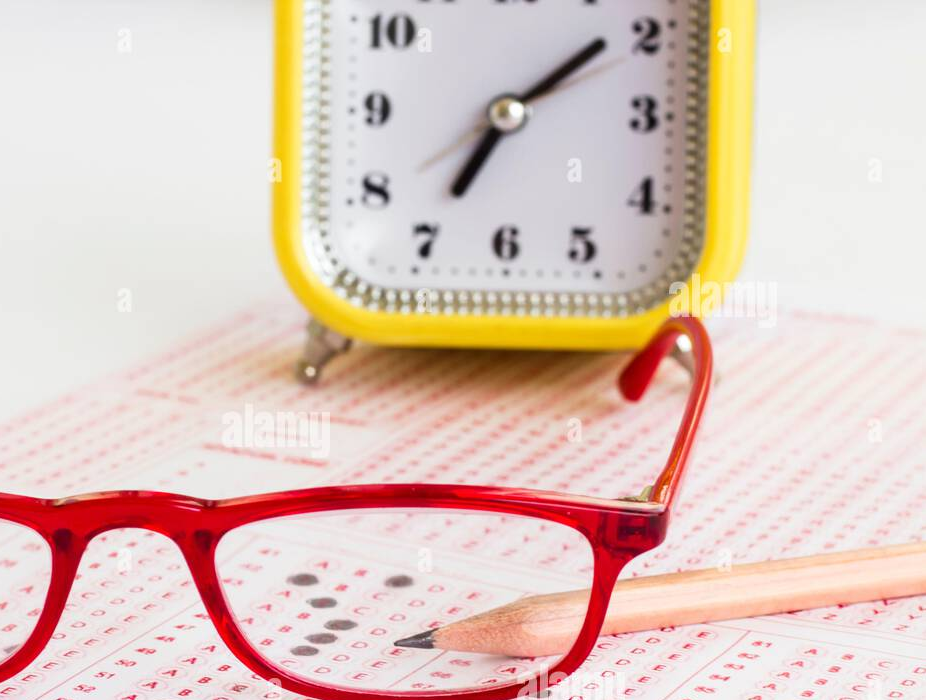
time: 7:08
